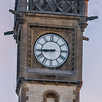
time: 8:44
